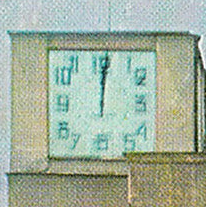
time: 12:00
